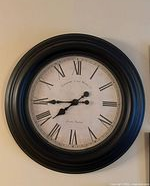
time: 7:44
